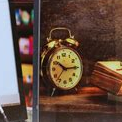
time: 10:14
